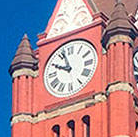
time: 9:56
